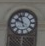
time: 9:56
